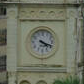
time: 4:18
